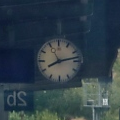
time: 8:12
